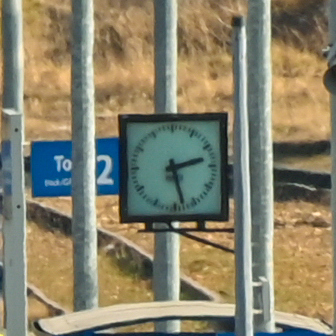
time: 2:27
